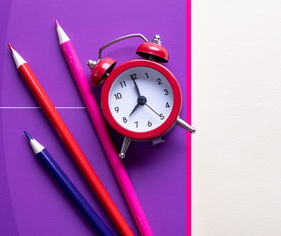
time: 8:00
